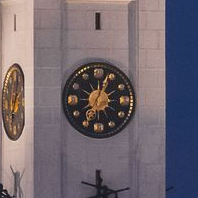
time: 7:03
